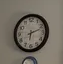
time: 6:11
